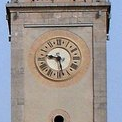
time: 9:28
